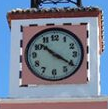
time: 10:20
